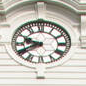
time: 9:40
